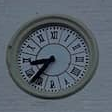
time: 8:36
